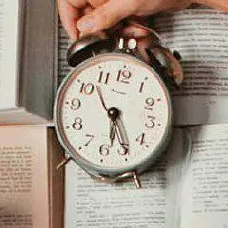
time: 5:24
